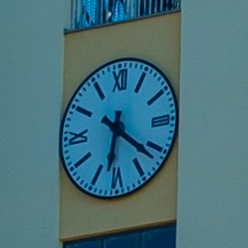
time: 6:21
